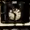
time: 10:32
